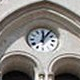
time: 12:06
